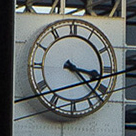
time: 3:22
